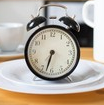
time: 6:32
